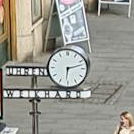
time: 6:12
